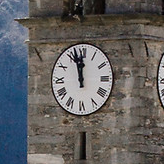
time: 11:57
